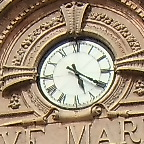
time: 5:20
